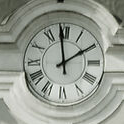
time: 1:58
